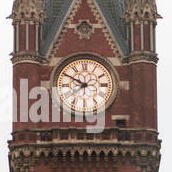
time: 7:49
